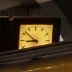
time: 8:52
